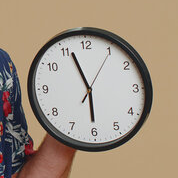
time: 5:56
